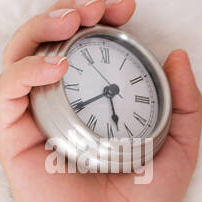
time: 5:39
